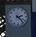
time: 2:22
